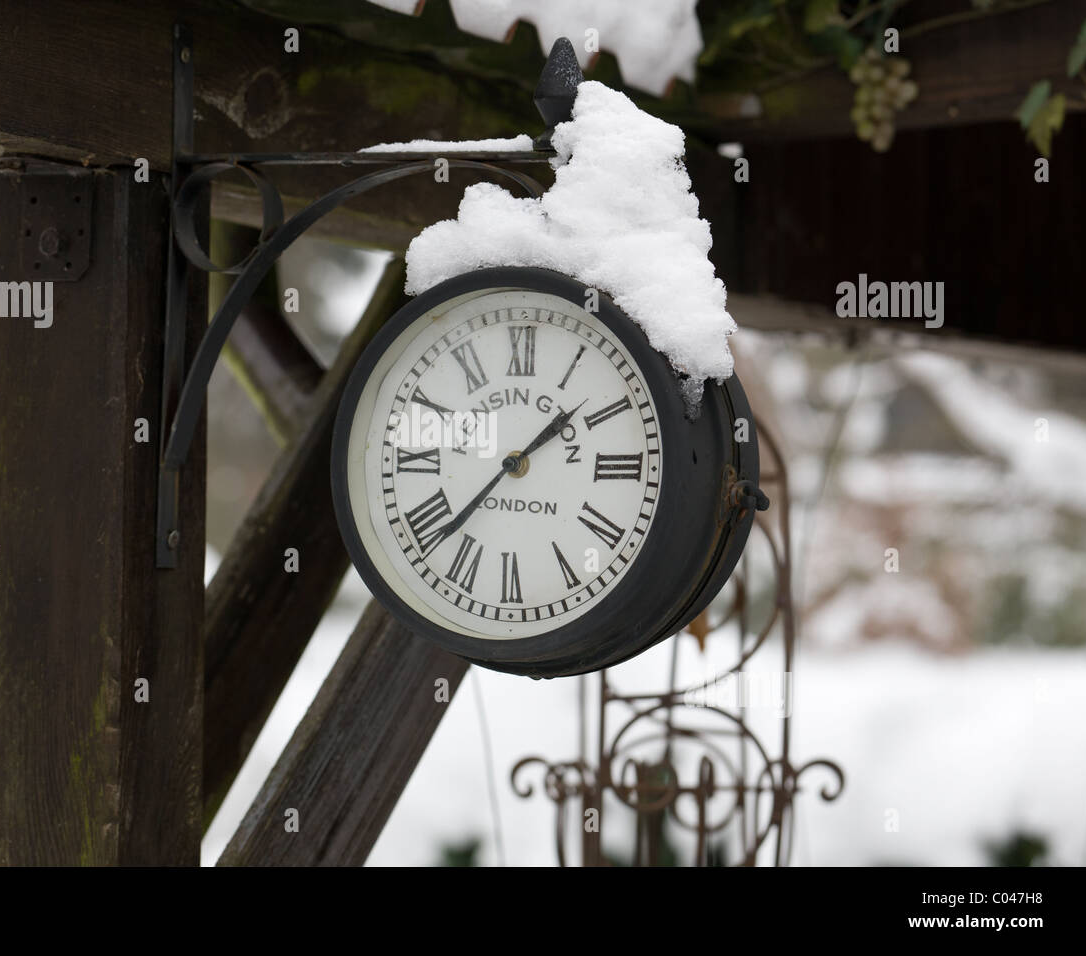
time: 1:37
